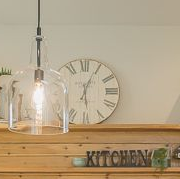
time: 6:04
